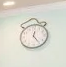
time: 12:24
